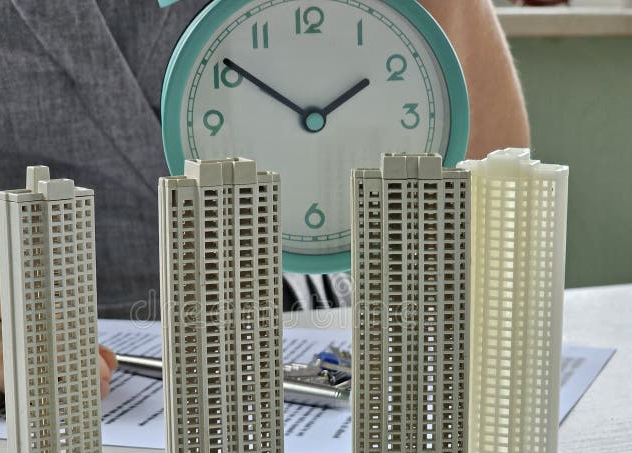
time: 1:50
